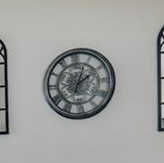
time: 2:03
